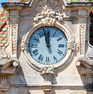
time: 11:57
